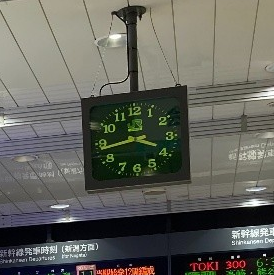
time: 3:43
